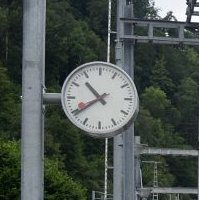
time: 10:39
